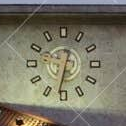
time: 12:32
